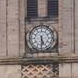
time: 5:30
